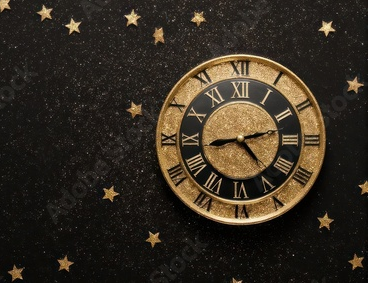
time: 4:42
